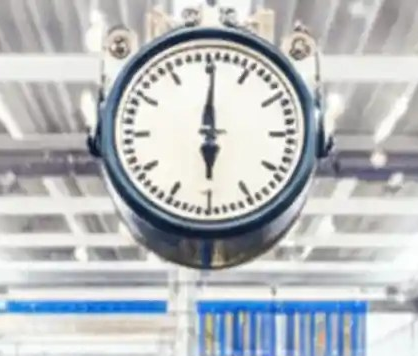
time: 6:00
